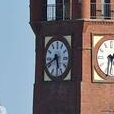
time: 5:41
